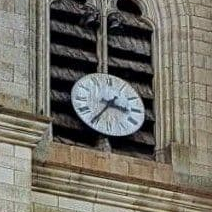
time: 3:35
